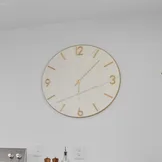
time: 6:07
